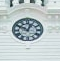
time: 12:49
